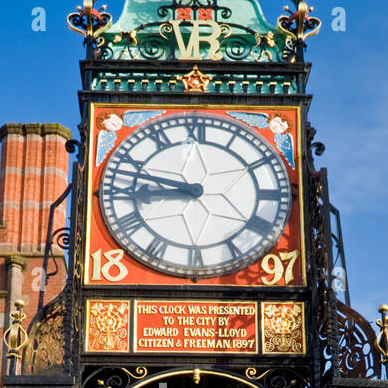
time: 8:47
